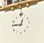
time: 12:46
